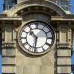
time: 10:31
